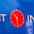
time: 10:30
